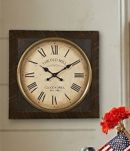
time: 10:09
